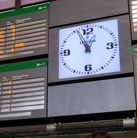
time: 12:56
